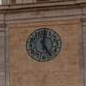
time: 12:24
